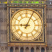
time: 9:04
